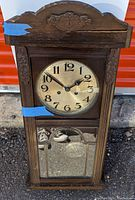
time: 1:51
